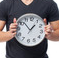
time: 12:52
